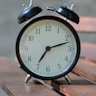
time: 7:12
